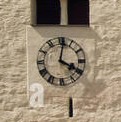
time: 4:01
